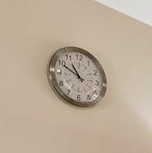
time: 10:49
